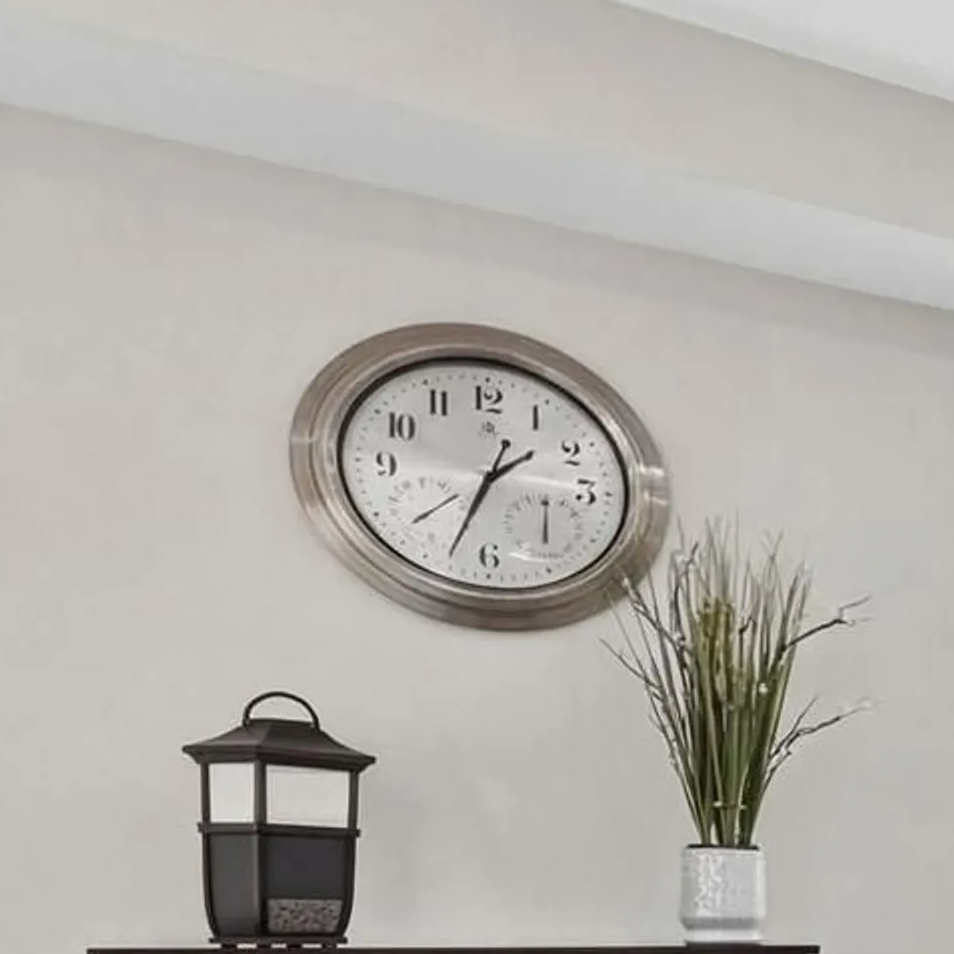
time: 1:33
